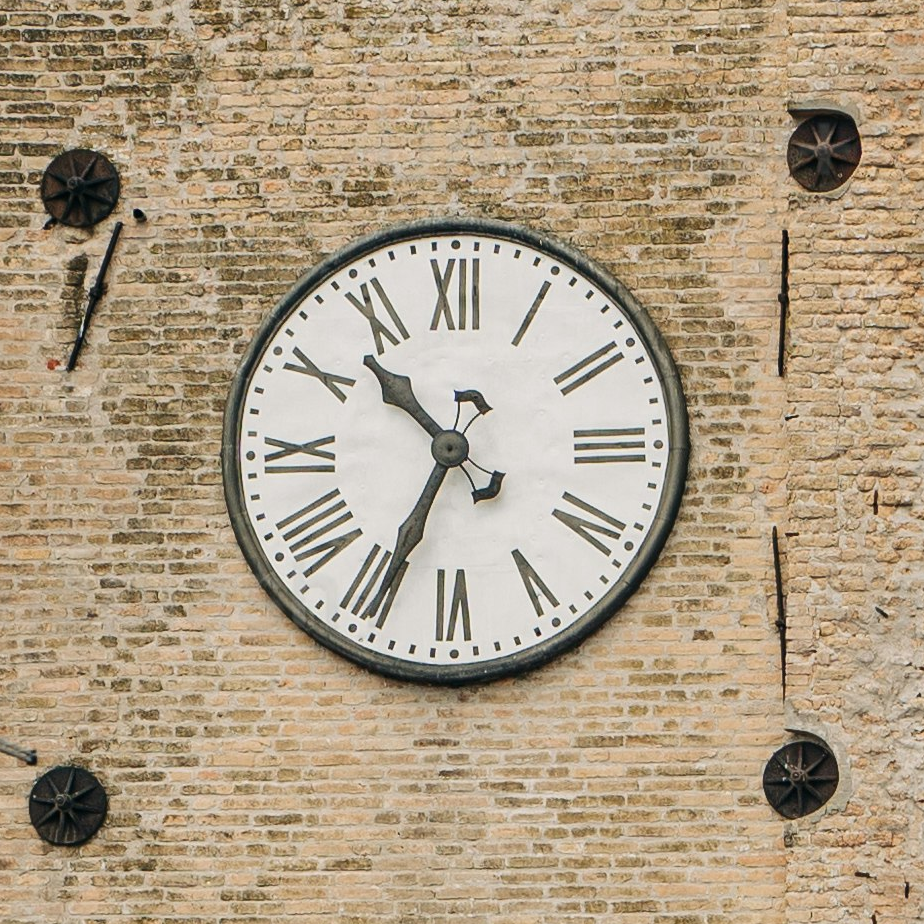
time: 10:34
